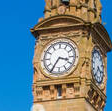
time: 3:35
